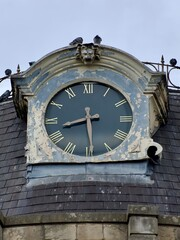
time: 8:29
